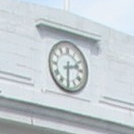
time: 2:30
